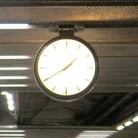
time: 1:40
